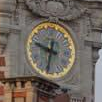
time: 9:32
